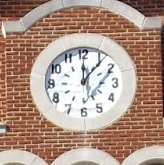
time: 12:06
